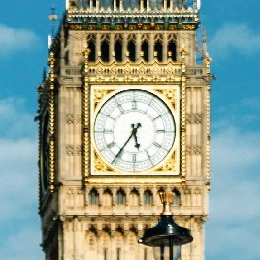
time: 5:36
